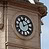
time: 11:10
